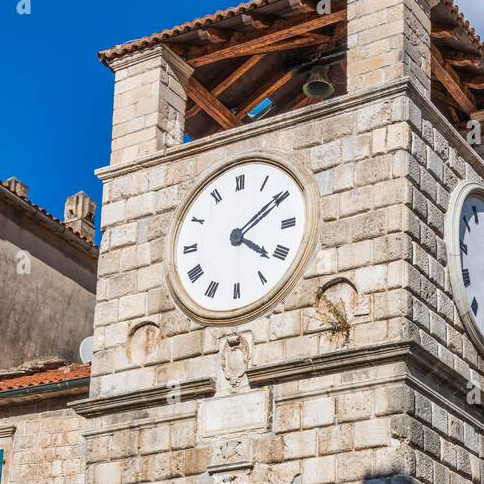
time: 4:09
